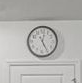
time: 5:01
